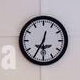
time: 12:34
